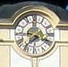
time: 7:18
